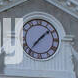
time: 1:36
